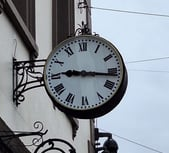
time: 9:16
